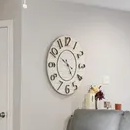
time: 4:49
